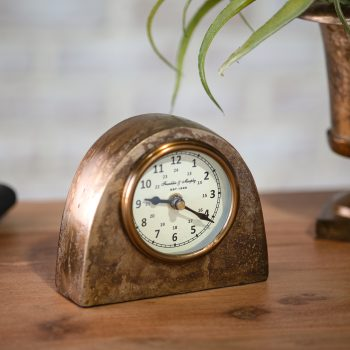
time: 9:20
